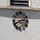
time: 2:40
